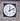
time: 12:11
